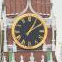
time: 1:09
